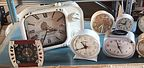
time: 3:34
